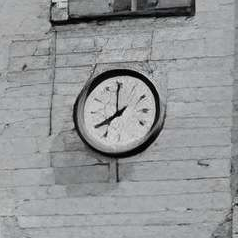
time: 7:59
